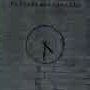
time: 4:31
